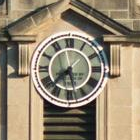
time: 7:27
